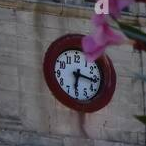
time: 6:16
